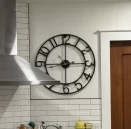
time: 2:44
